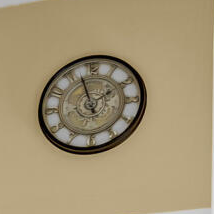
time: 1:57
